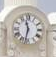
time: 11:32
